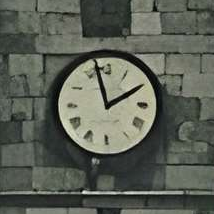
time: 1:57
